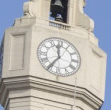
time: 11:35
